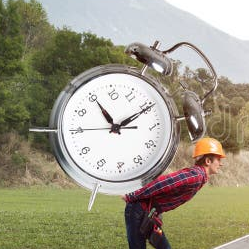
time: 11:10
